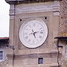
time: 5:12
